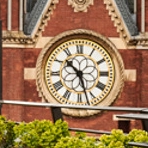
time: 10:27
